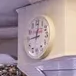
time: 9:01
